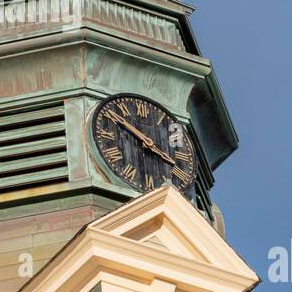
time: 3:50
